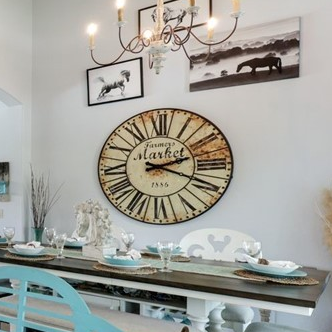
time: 2:18
